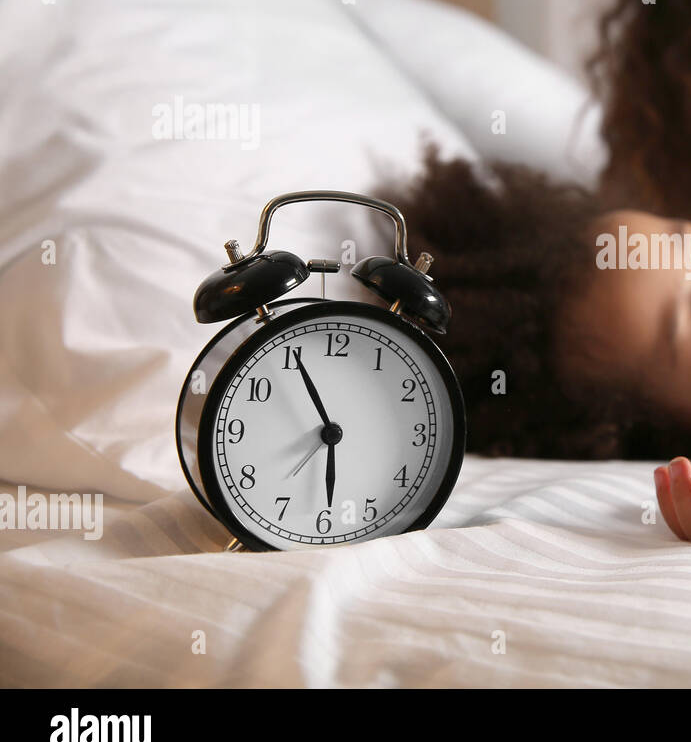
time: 5:55
